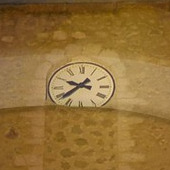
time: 9:38
